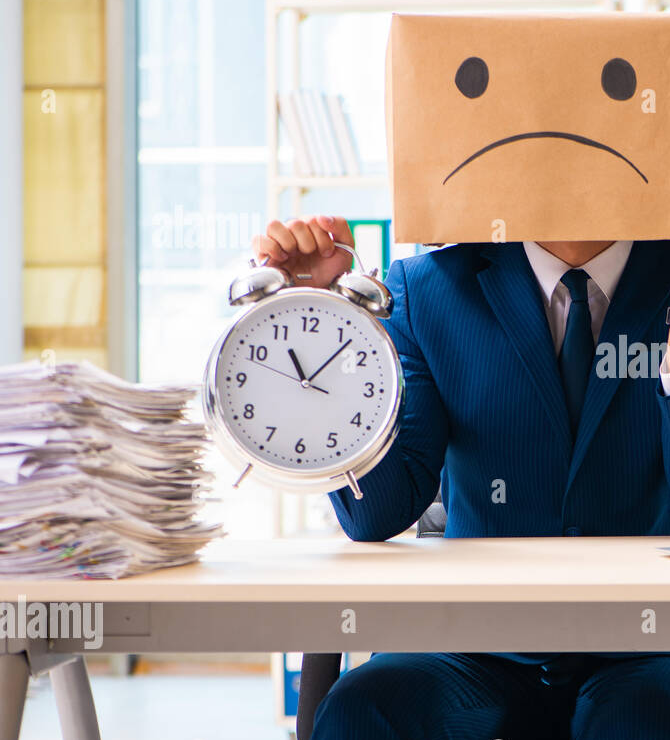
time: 11:07
